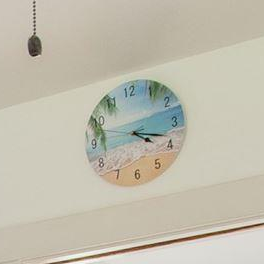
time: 4:18
